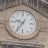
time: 9:36
